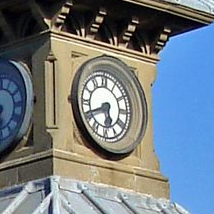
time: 5:40
